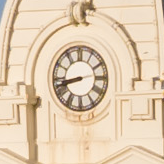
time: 8:42
